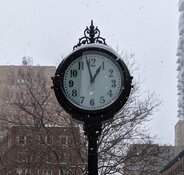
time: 12:58
